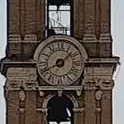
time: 1:40
